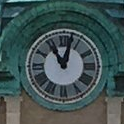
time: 11:02
